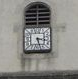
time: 3:27
